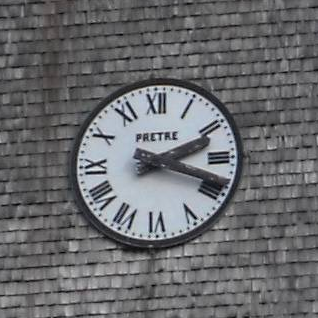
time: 2:18
